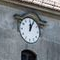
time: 12:04
